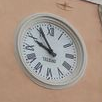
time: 9:54
